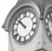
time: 10:52
